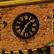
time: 1:34
